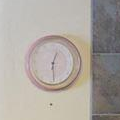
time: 12:28
